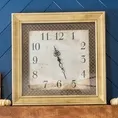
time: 11:26
